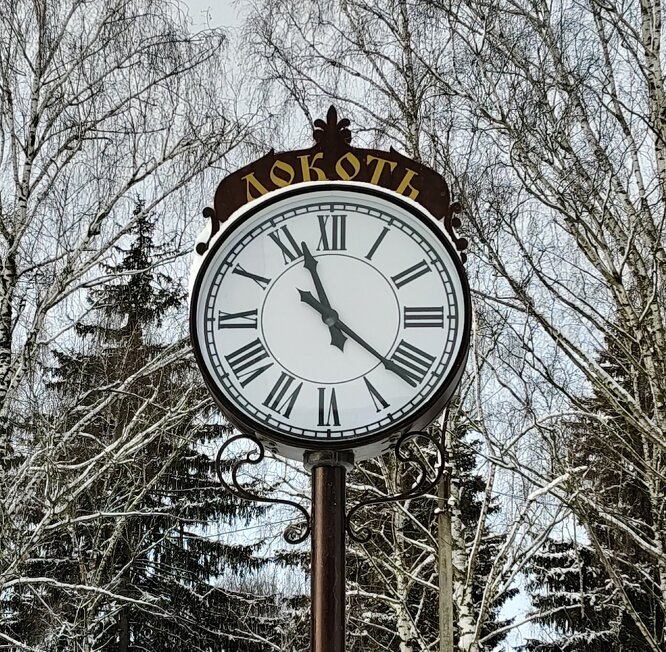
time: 11:21
